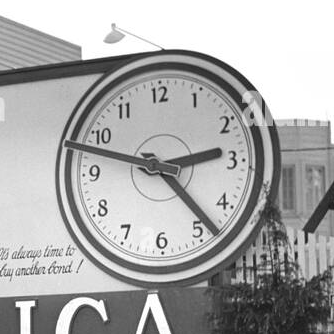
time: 2:23
